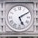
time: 5:09
